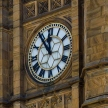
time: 11:54
